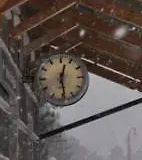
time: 12:28
